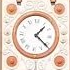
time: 1:21
